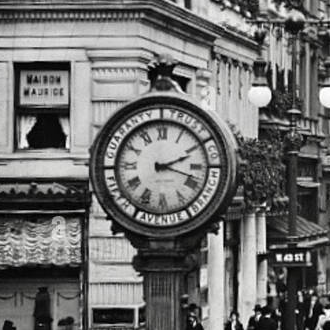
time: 2:18
